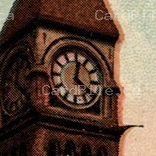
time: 12:21
